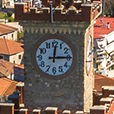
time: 12:14
